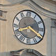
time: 8:20
